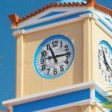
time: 11:14
